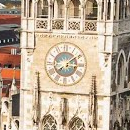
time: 3:09
